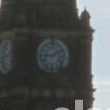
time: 9:10
